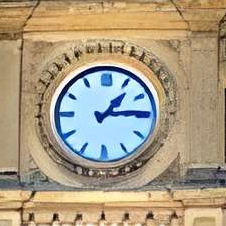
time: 1:14
